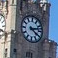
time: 4:12
